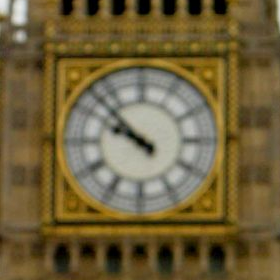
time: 9:52
